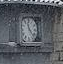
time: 11:22
